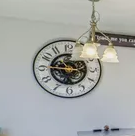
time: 10:45
